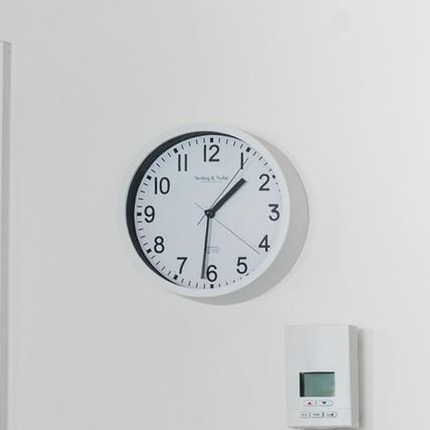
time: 1:31
